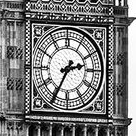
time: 2:34
